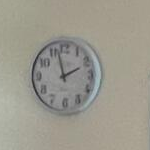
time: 1:57
